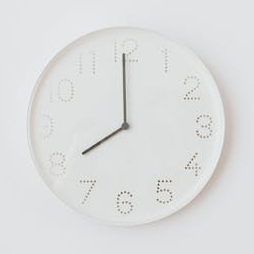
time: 7:59
